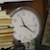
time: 11:21
